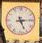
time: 5:14
